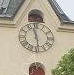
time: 11:28
